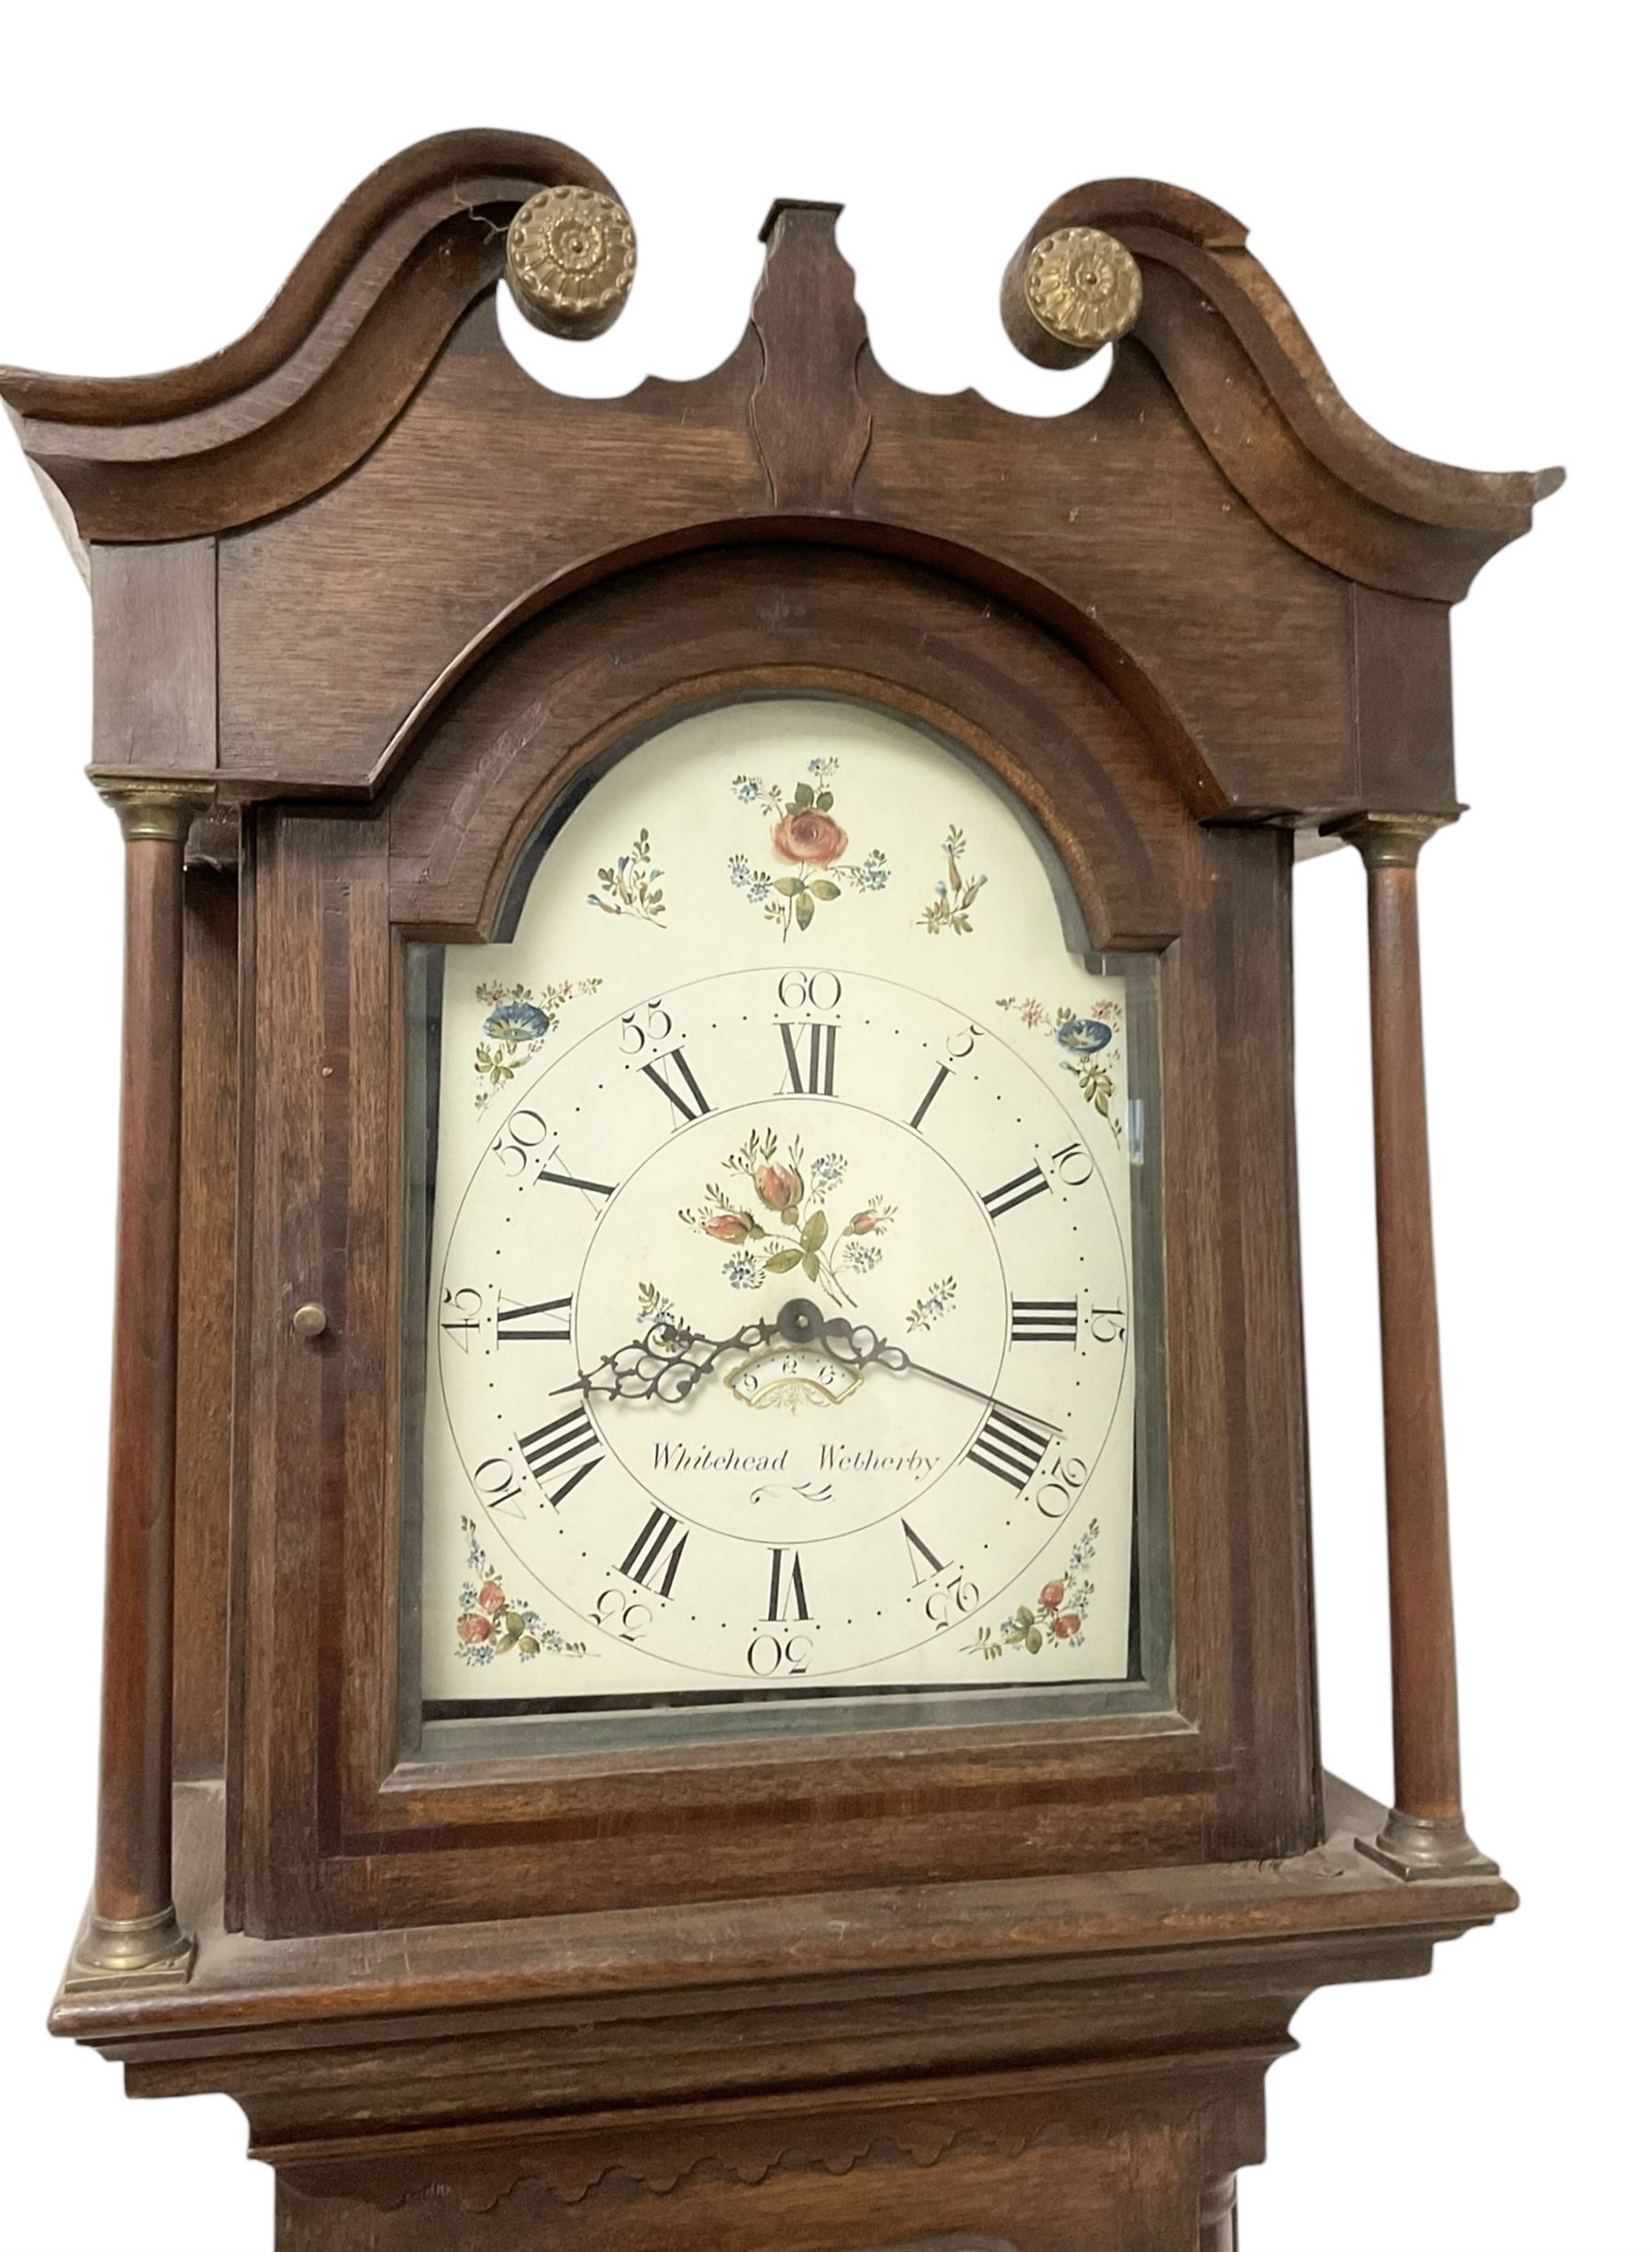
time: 10:42
